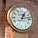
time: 1:13
